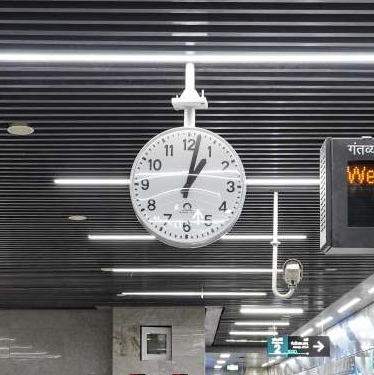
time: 1:02
